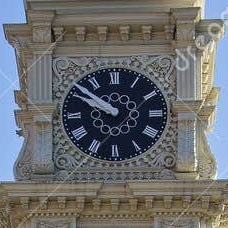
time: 9:51
